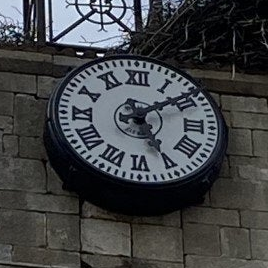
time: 5:09
